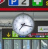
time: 7:17
